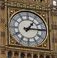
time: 1:14
